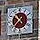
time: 10:37
